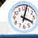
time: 4:02
